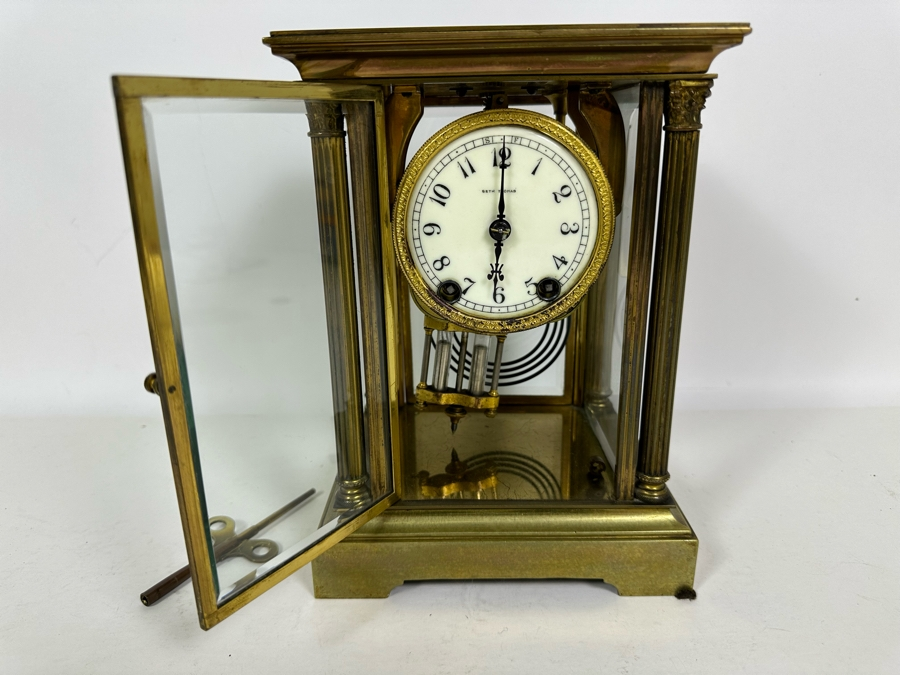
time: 11:59
